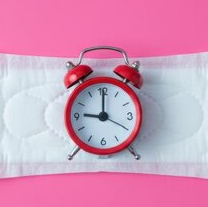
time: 9:00
